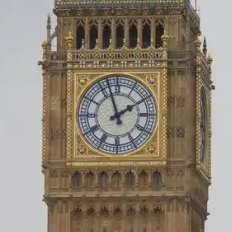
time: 1:57
